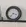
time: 3:37
